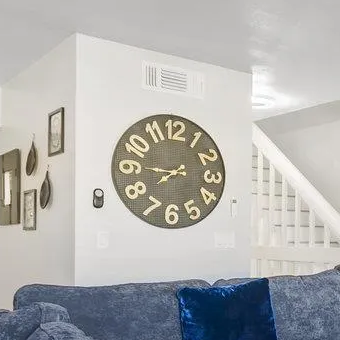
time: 7:45
